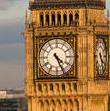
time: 4:25
